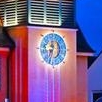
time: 12:32
